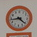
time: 8:21
